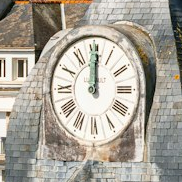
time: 12:00
